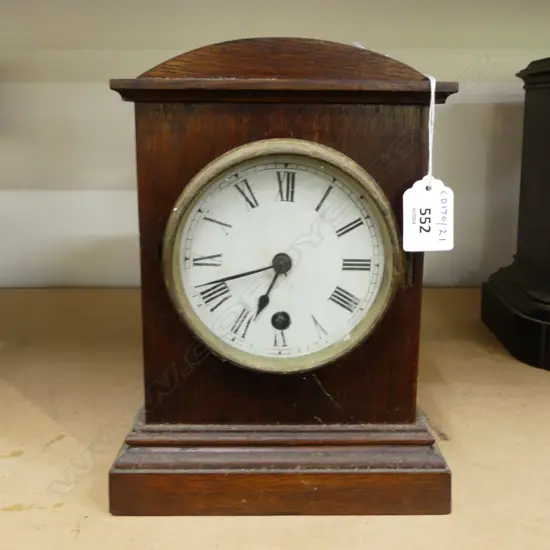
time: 6:41
